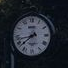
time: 7:42
